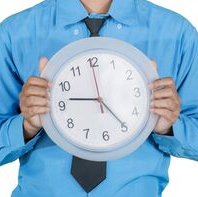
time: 9:24
